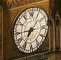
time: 7:07
